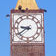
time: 9:39
